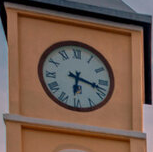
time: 6:17
